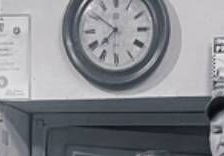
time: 7:50
